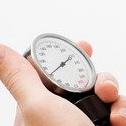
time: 1:38
